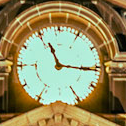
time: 11:15
